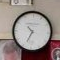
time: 10:34
